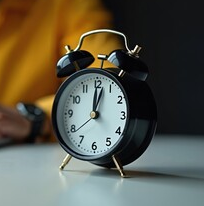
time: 12:02
